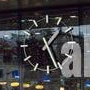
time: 1:26
